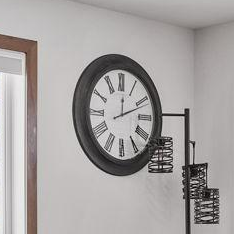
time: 12:11
